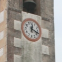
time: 12:18
